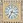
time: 3:34
